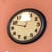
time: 12:48
